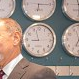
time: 8:57
